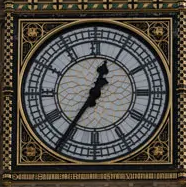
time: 12:35
